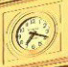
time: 7:18
